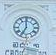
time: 6:59
